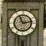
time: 11:13
